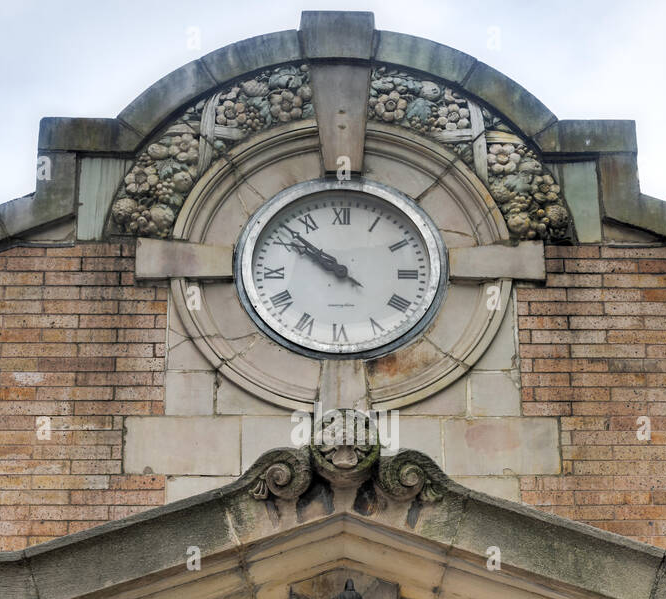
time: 9:50
